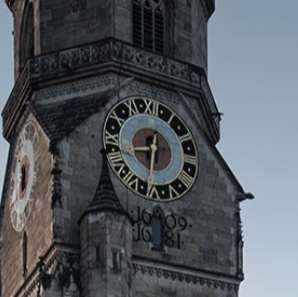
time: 8:32
